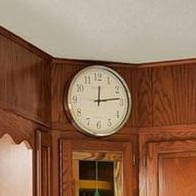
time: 12:13
